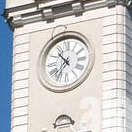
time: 10:36
